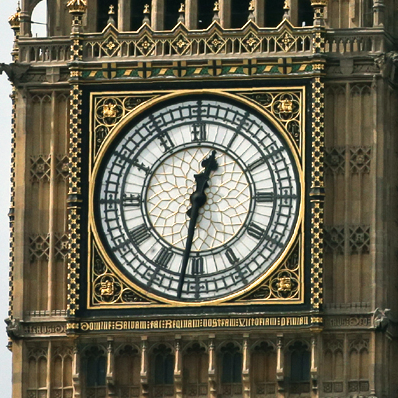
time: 12:31
